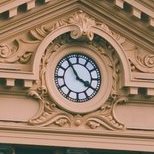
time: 3:54
